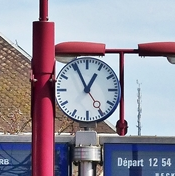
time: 12:55
